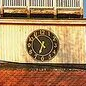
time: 6:53
